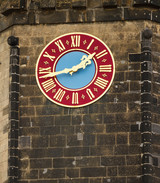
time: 1:42
